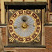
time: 11:41
